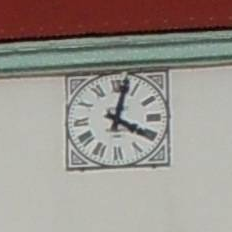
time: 4:02
